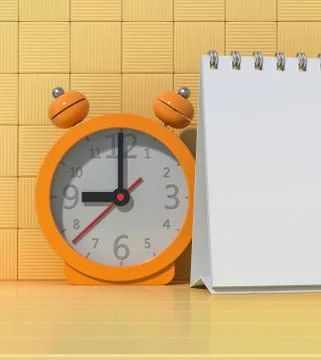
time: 9:00
